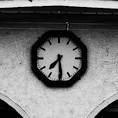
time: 7:29
